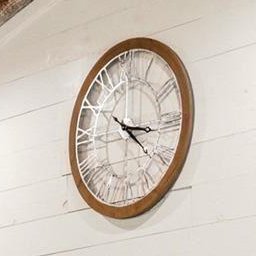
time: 3:21
